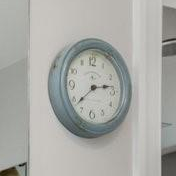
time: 2:38
